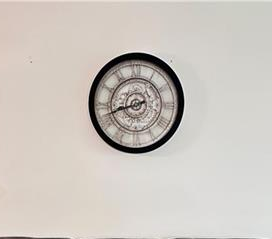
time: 8:42
